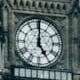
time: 5:00
